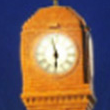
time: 5:57
